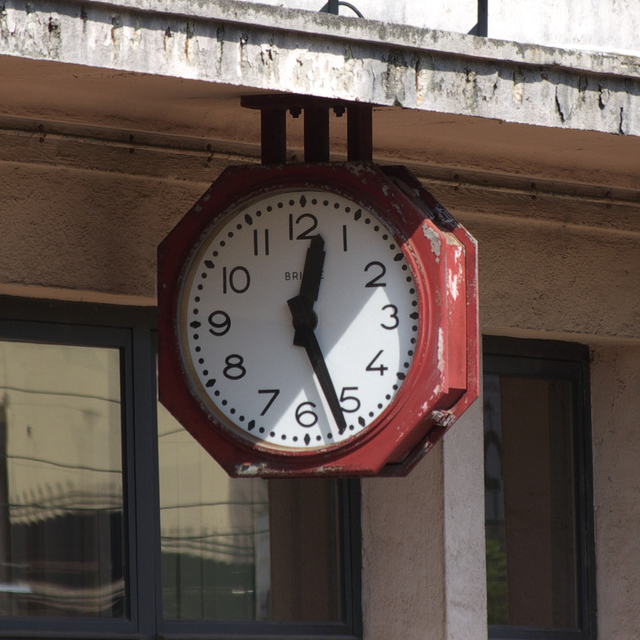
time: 12:26
